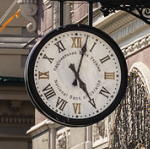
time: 5:02
